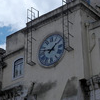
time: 9:07
